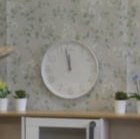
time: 11:57
